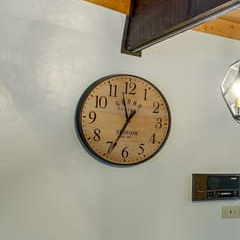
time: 11:34
